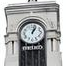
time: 1:02
